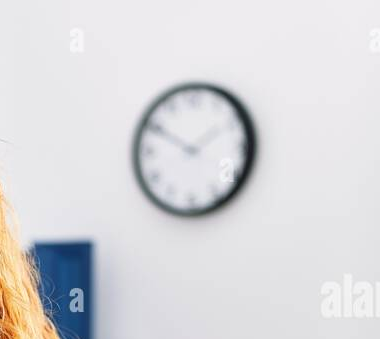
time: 1:50
